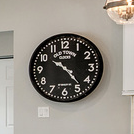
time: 10:23
